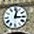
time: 3:02
